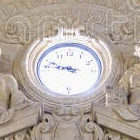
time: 8:48
